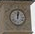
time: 12:02
